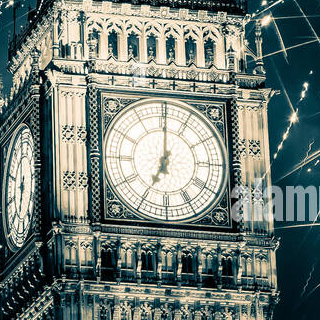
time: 7:00
